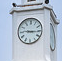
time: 9:15
